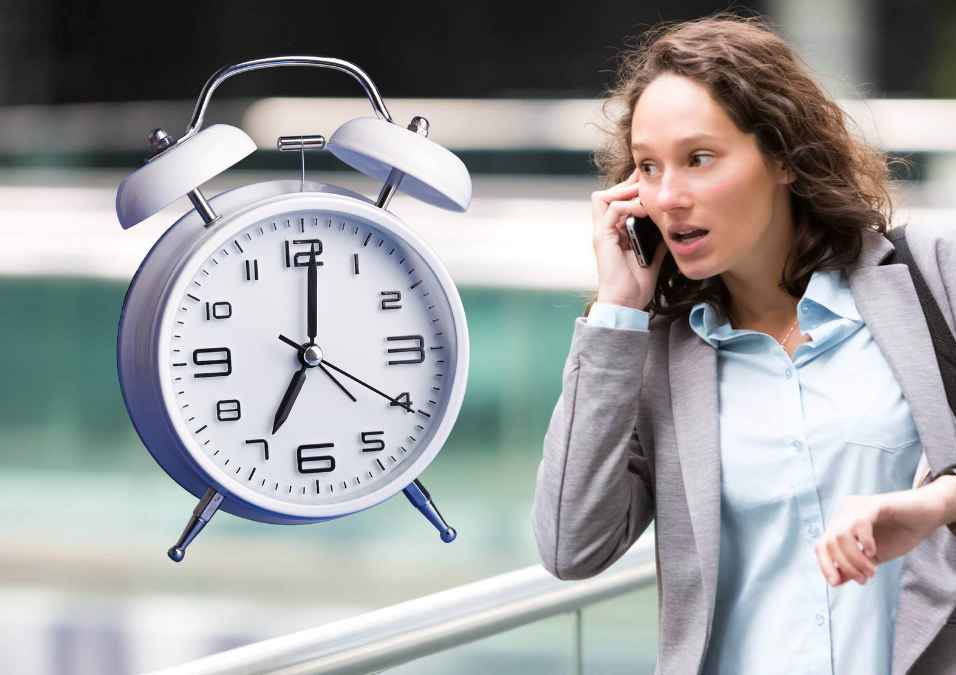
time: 7:01
